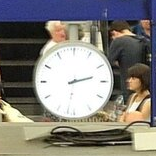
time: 2:31
